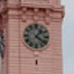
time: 1:21
